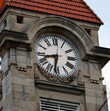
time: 8:32
